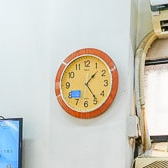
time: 1:23
